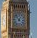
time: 12:52
